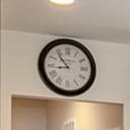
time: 8:53
